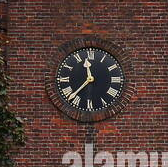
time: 11:37
